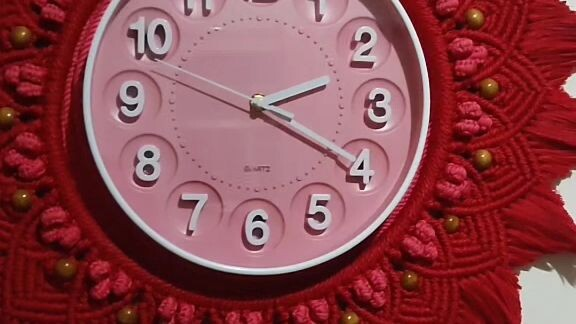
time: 2:19
